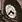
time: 3:37
